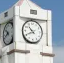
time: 10:41
